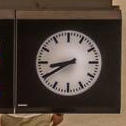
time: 8:40
